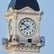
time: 7:50
